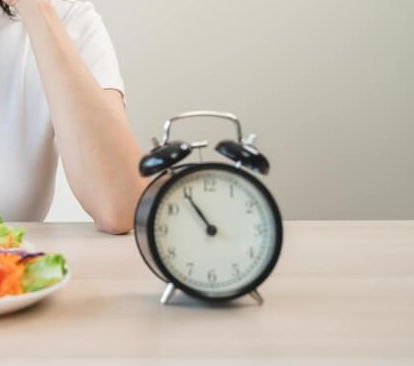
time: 10:54
